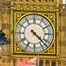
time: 4:22
